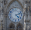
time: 4:12
